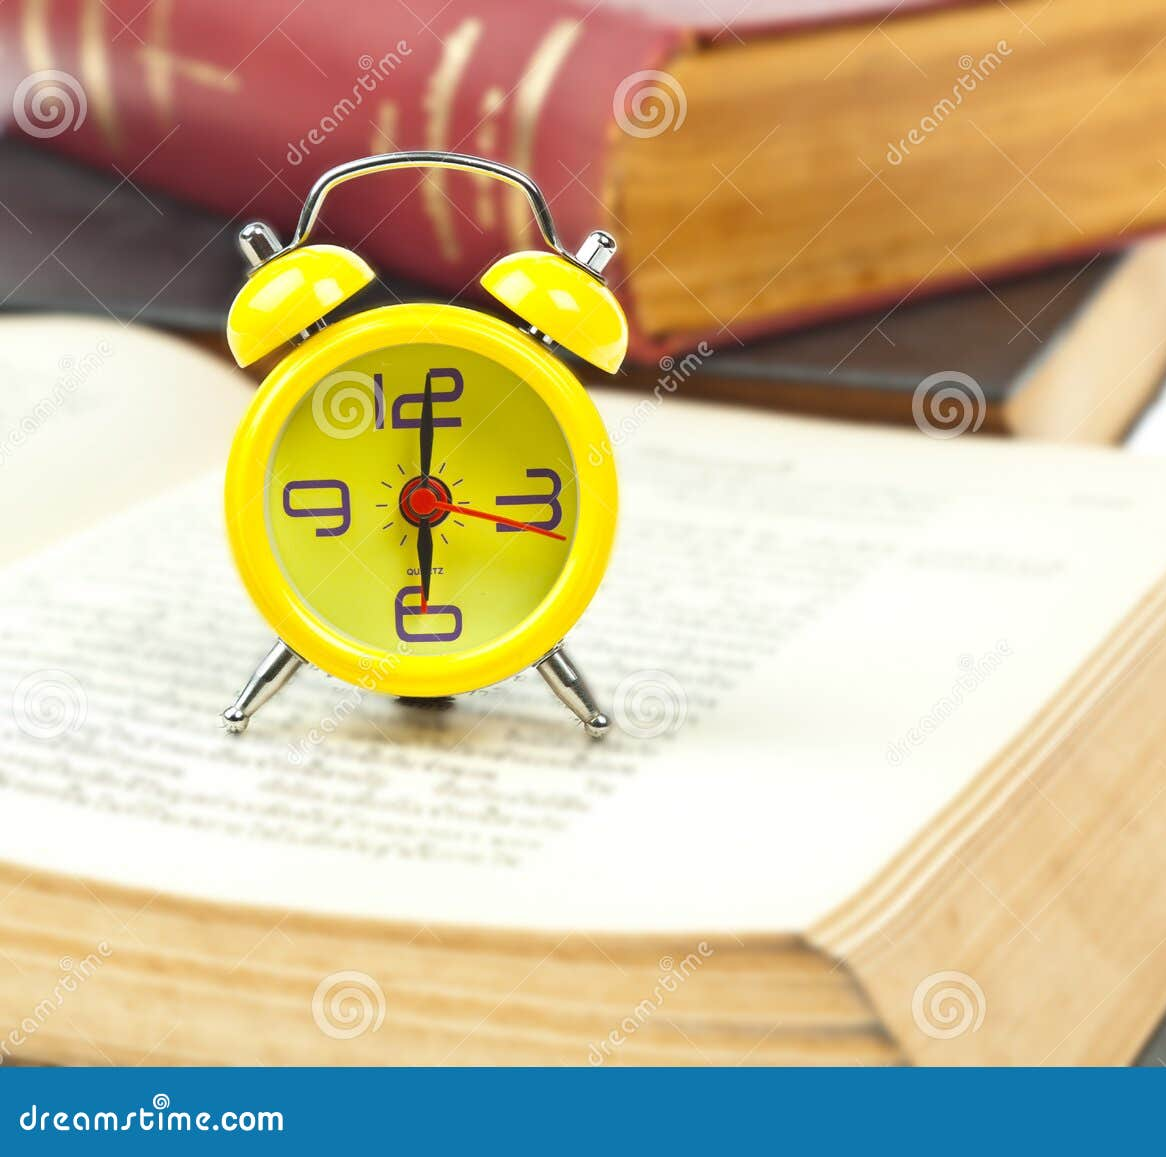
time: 6:00
